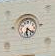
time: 6:21
